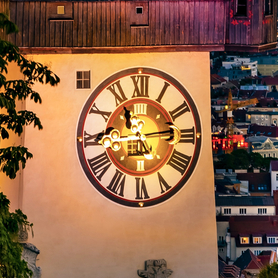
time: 11:13
